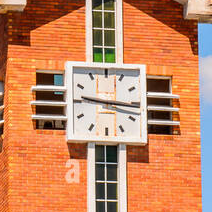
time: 9:16
